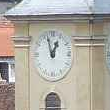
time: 12:57
